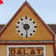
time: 7:30
